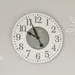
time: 9:55
